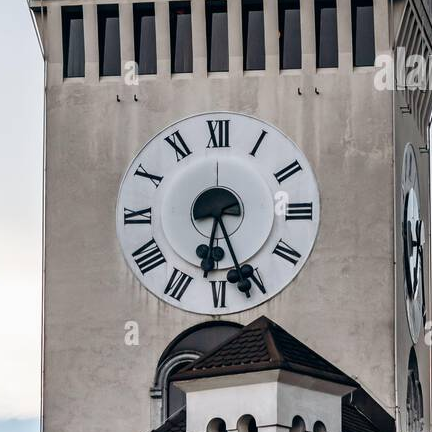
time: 6:26
